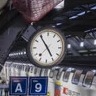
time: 4:54
